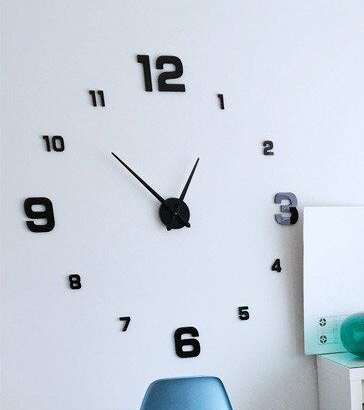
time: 12:52
